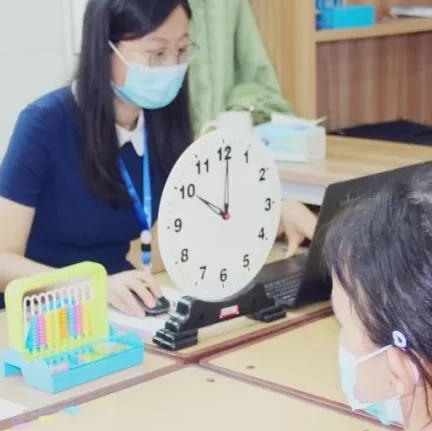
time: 10:00
